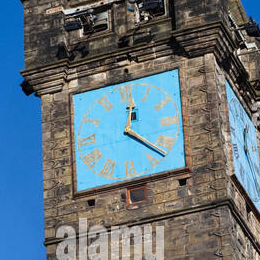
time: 12:22
